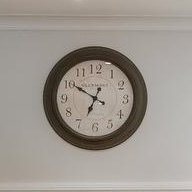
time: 6:50
